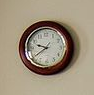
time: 9:39
